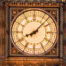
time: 8:07
